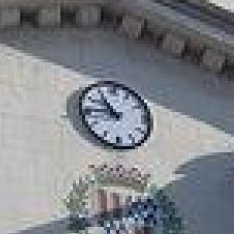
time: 10:45
